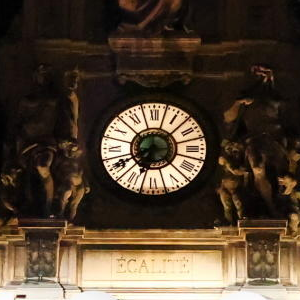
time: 6:32
